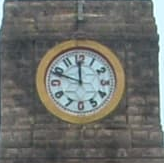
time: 11:48
